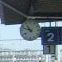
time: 10:47
